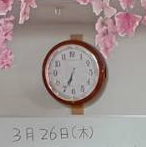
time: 6:34
